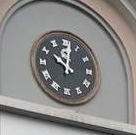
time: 10:01
